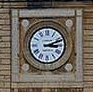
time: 3:11
